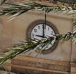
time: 8:59
